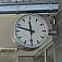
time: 11:48
